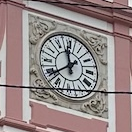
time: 11:38
